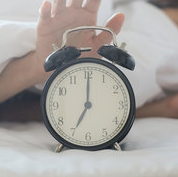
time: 7:00
